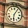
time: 6:05
